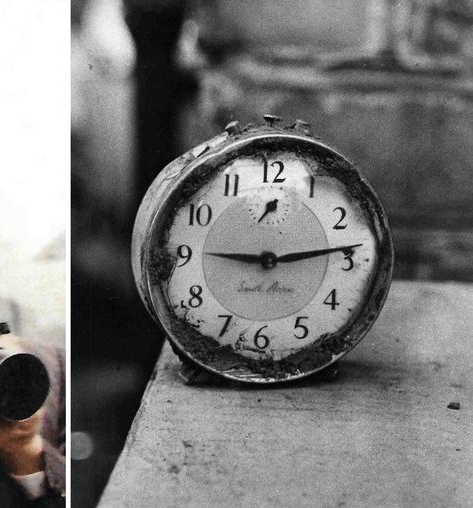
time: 9:13
